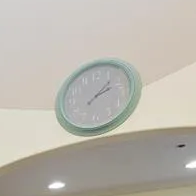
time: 2:07
